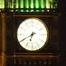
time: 6:40
